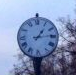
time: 1:13
